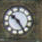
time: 10:24
